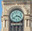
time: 3:38
